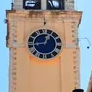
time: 12:43
